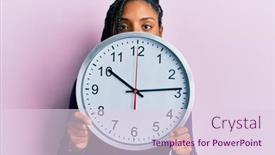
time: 10:13
